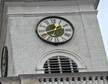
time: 12:41
